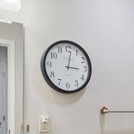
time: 3:01
